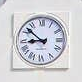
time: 8:52
